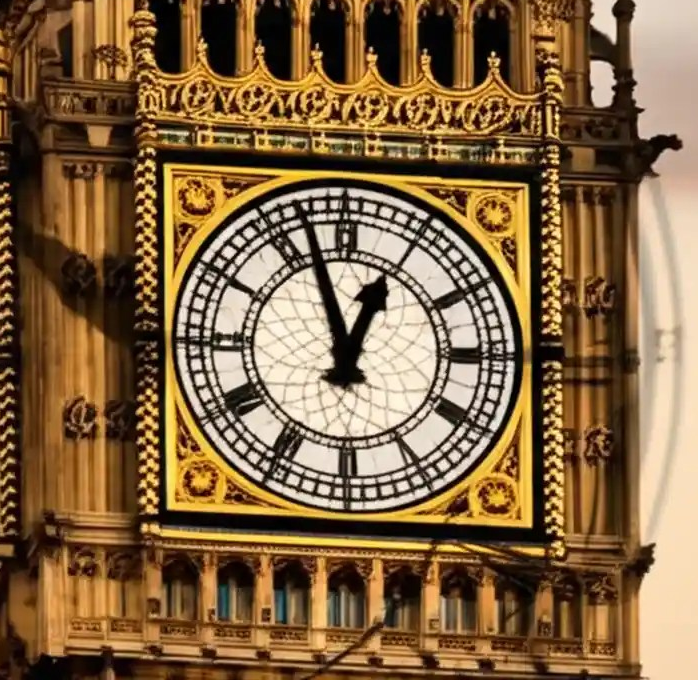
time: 12:57
